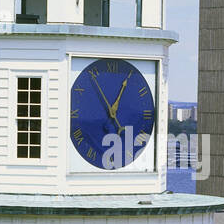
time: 5:04
